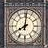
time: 8:01
